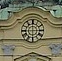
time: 5:59
